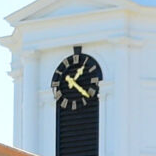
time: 1:21
